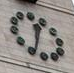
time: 12:33
